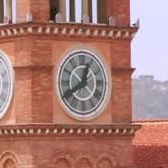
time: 12:40
